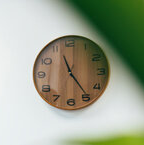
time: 11:24
